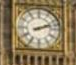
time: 2:12
